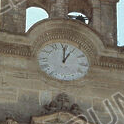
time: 1:00
